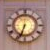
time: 6:33
